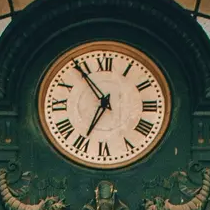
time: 6:54
